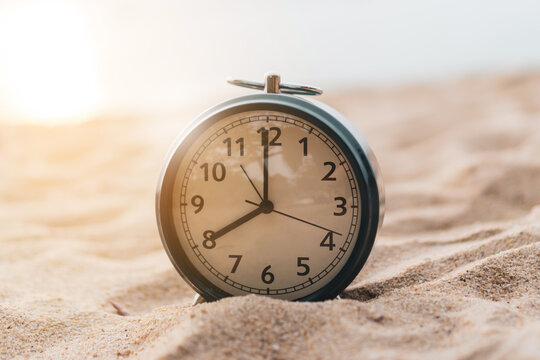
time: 7:59
